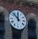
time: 11:52
